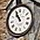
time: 10:55
